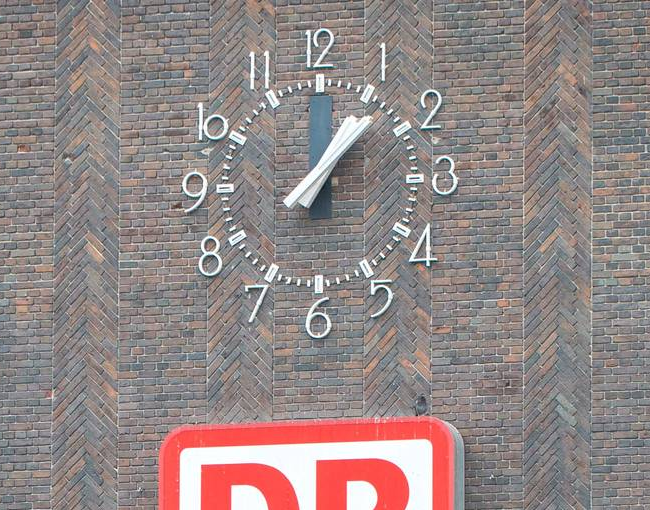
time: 1:07
